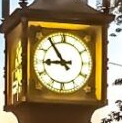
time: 8:54
